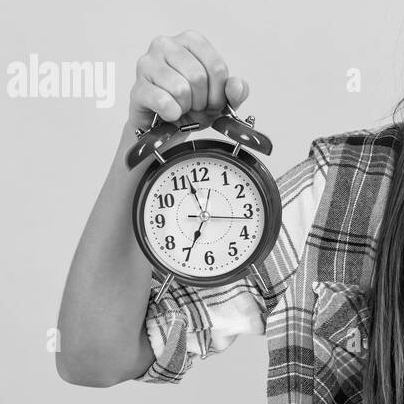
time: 6:57
